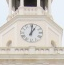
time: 1:01
